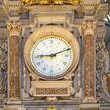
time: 9:11
